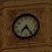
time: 7:24
